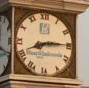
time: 8:14
